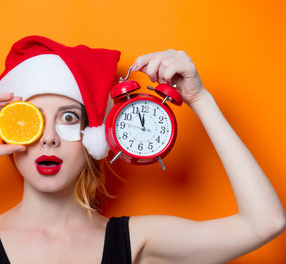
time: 11:56
